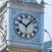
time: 10:07
